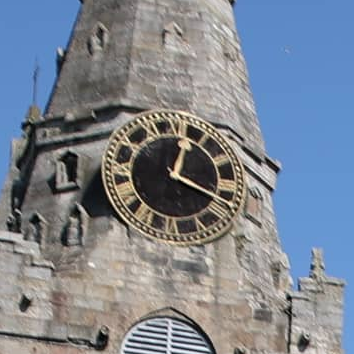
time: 12:18
